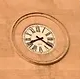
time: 8:21
